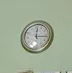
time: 12:16
